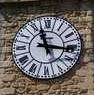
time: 11:16
